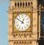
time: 12:51
